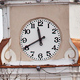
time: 11:40
